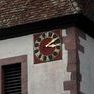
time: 3:09
